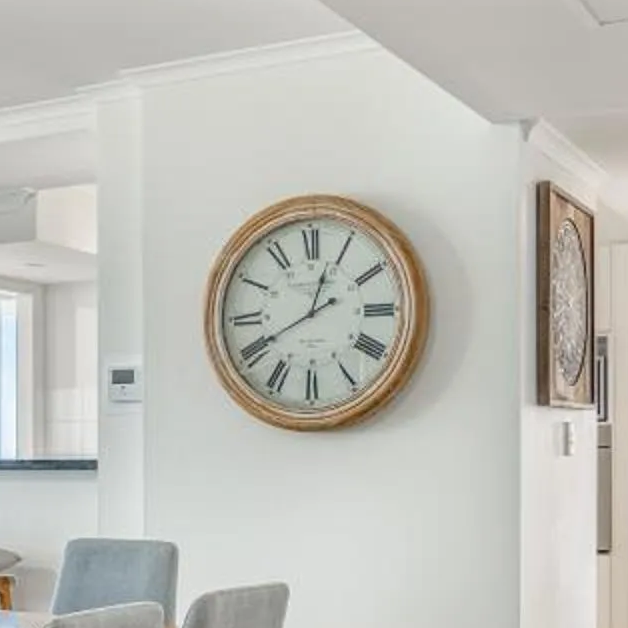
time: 12:40
